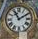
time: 11:09
